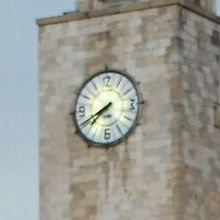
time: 7:40
